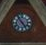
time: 4:54
